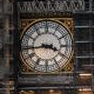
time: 3:43
